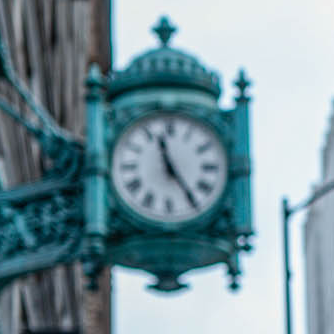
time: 11:24
